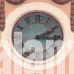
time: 2:15
